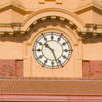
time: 10:26
